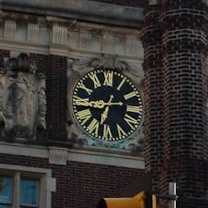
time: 6:43
